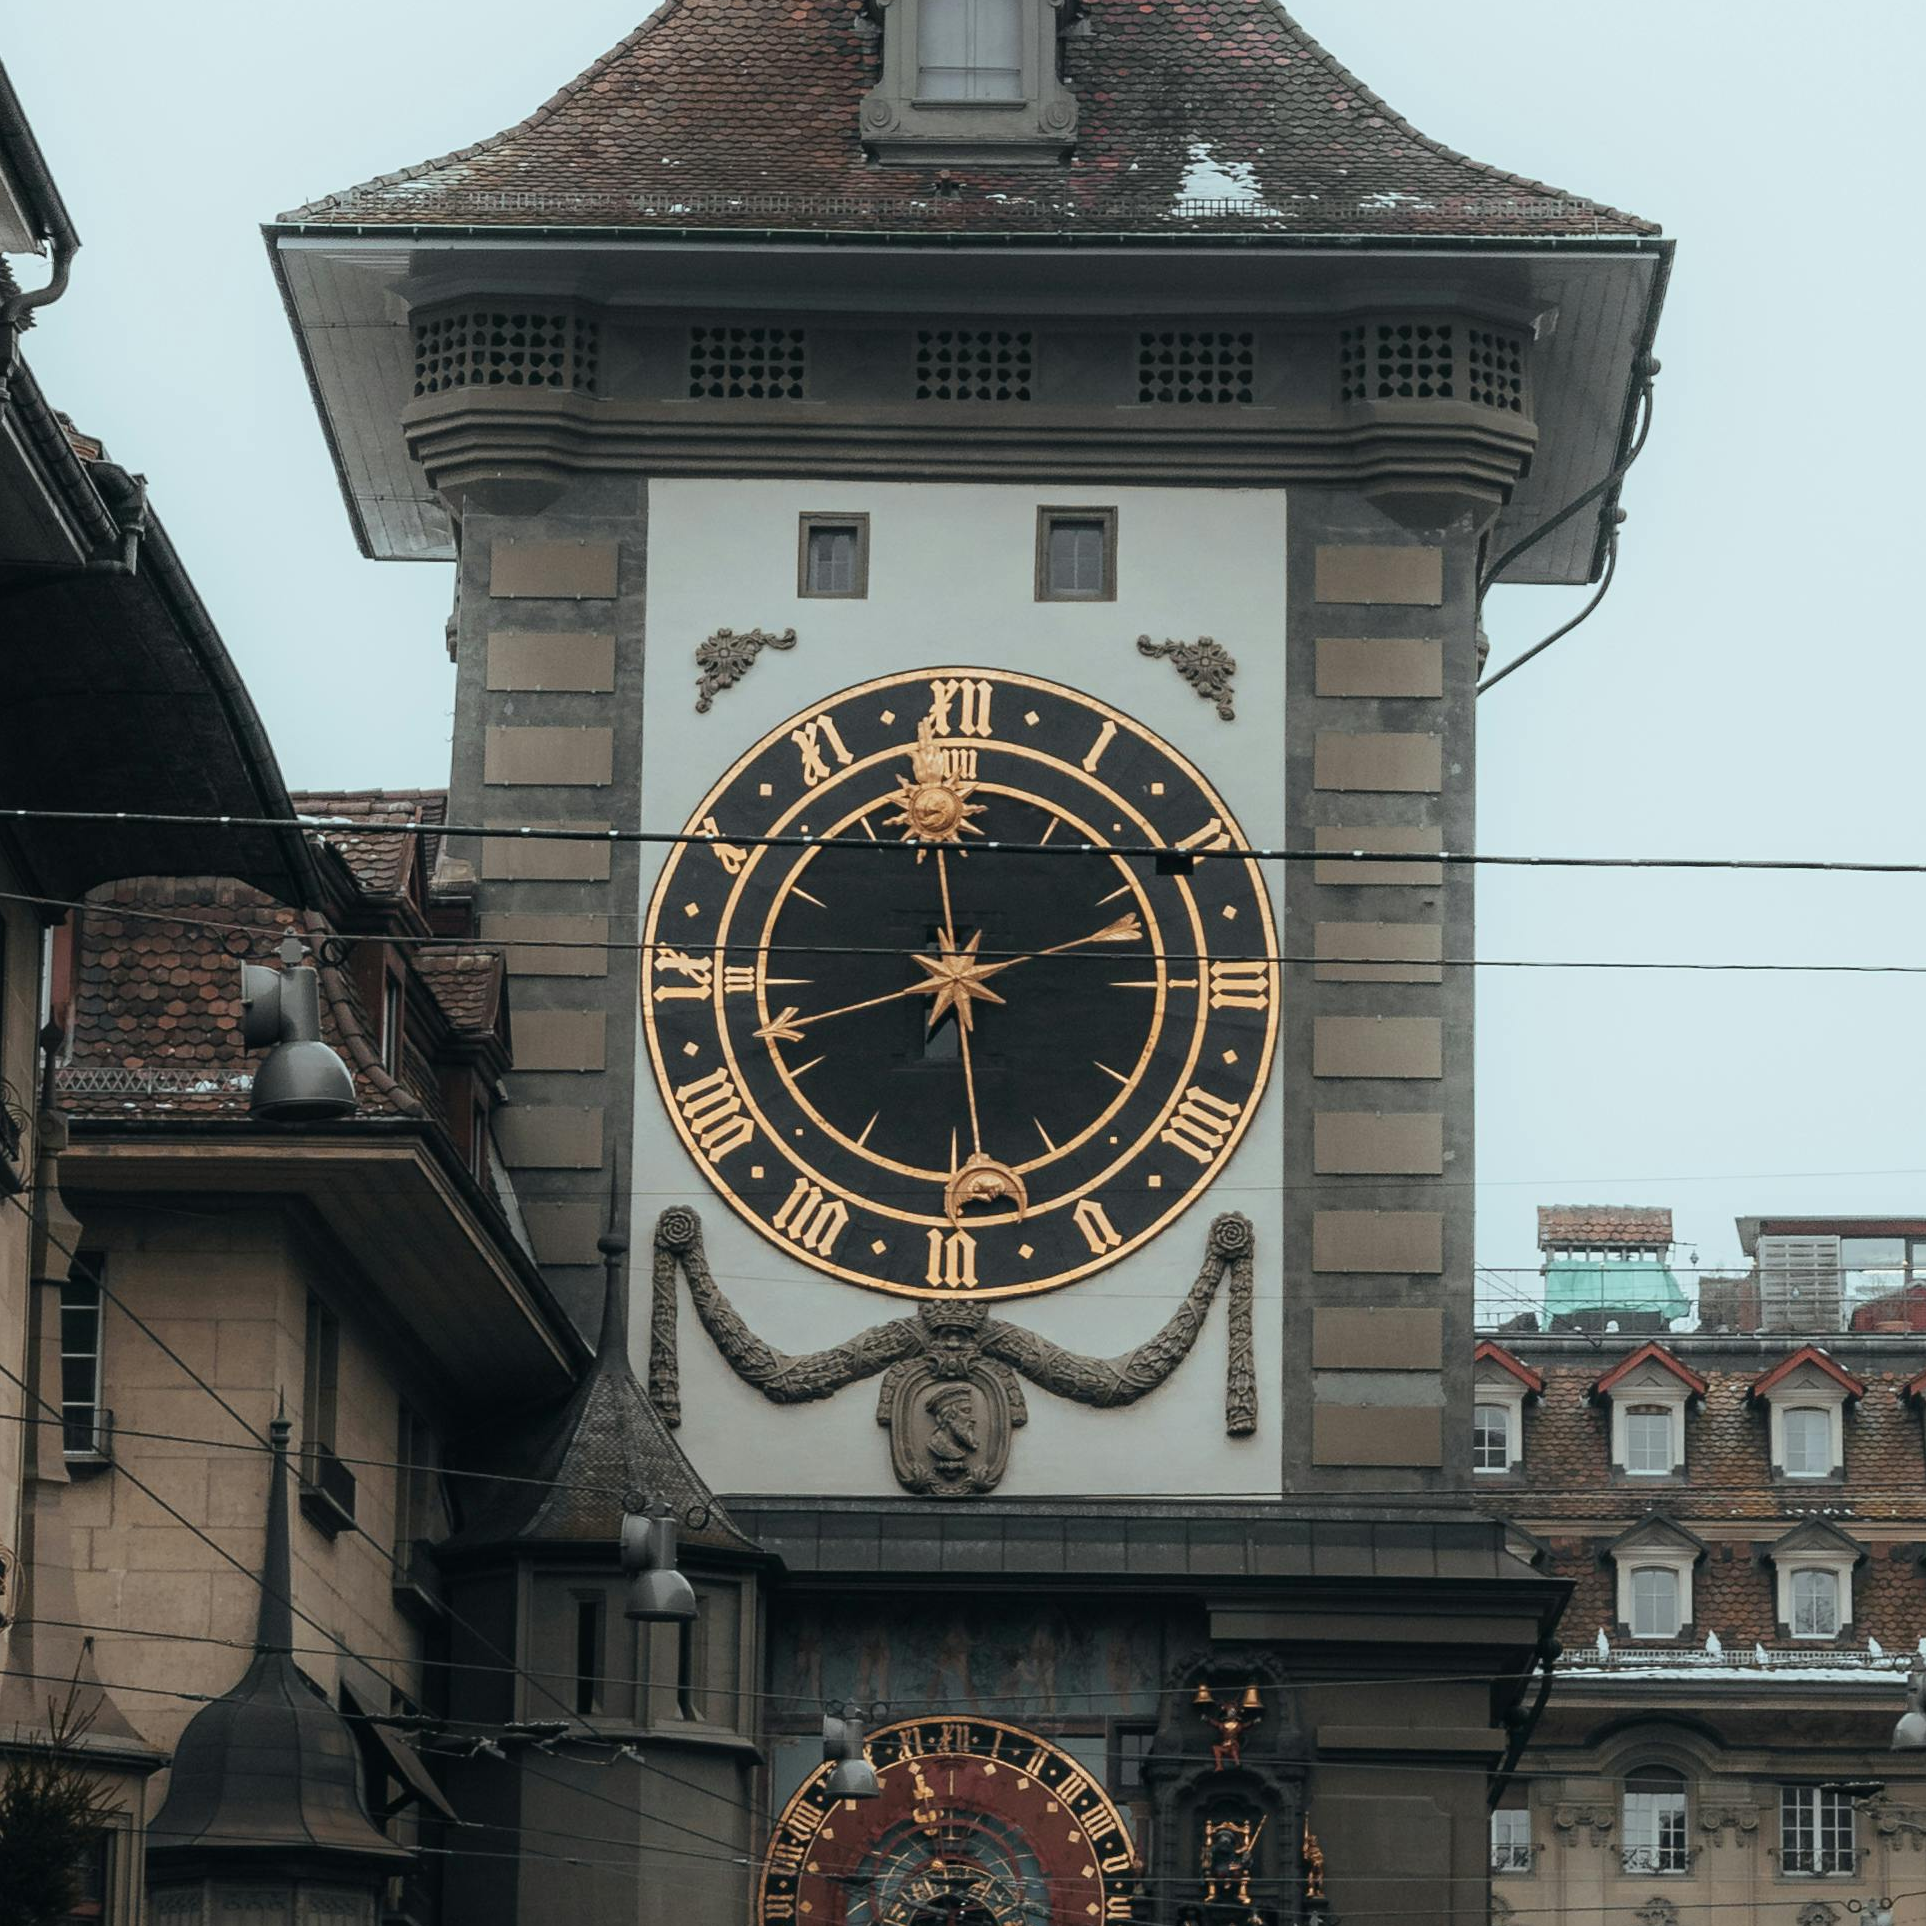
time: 5:59
